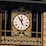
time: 11:54
